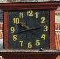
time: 2:42
